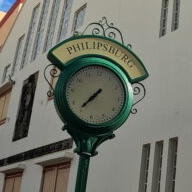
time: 7:36
